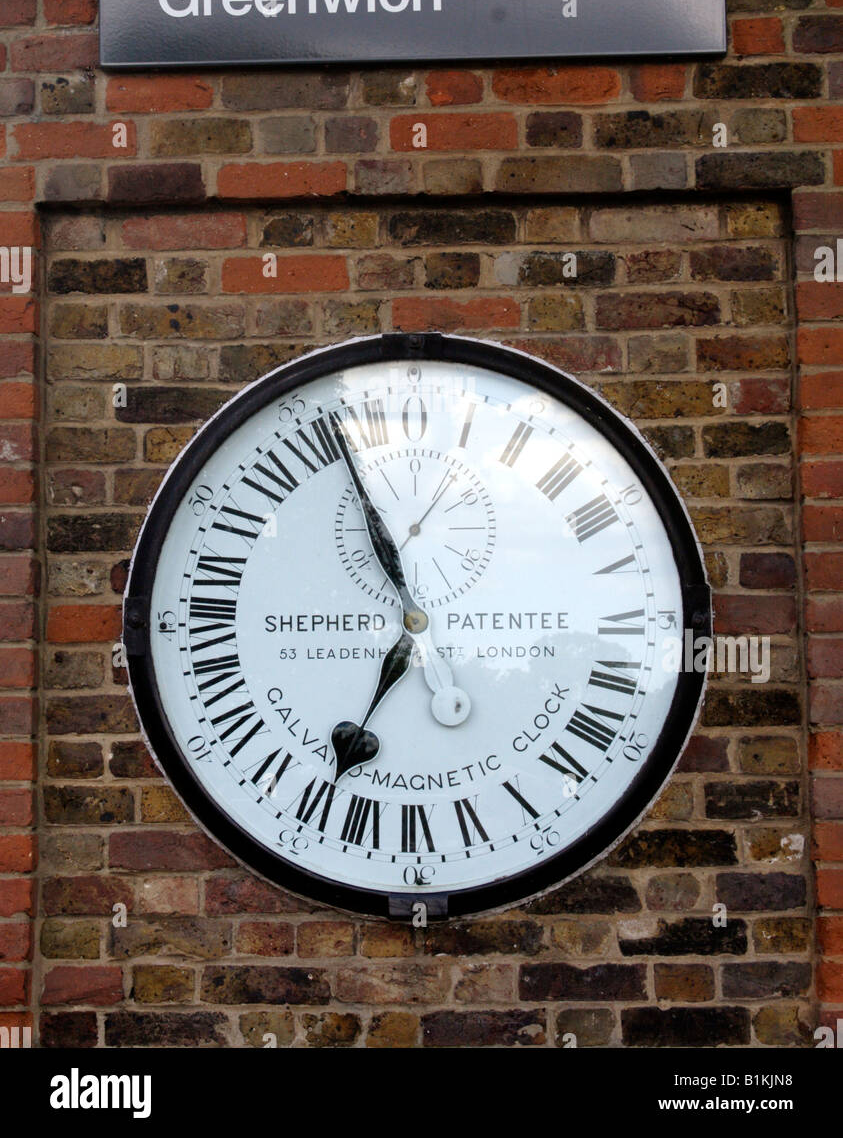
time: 6:55
